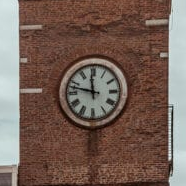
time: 11:47
